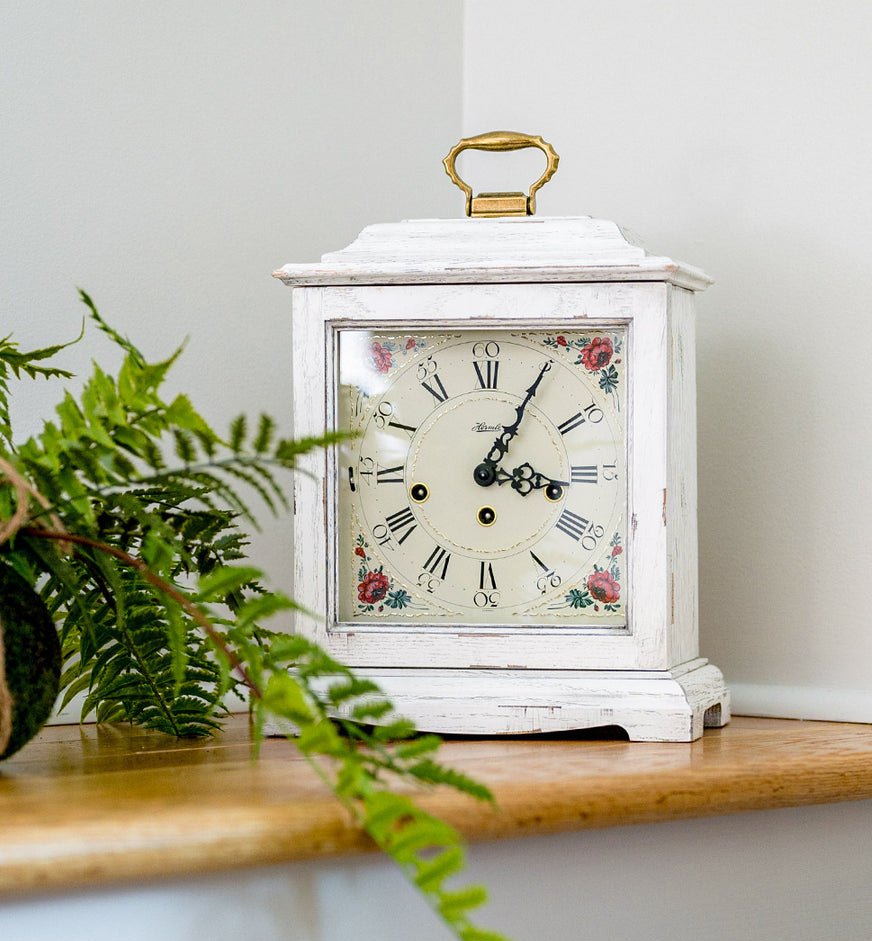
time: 3:04
